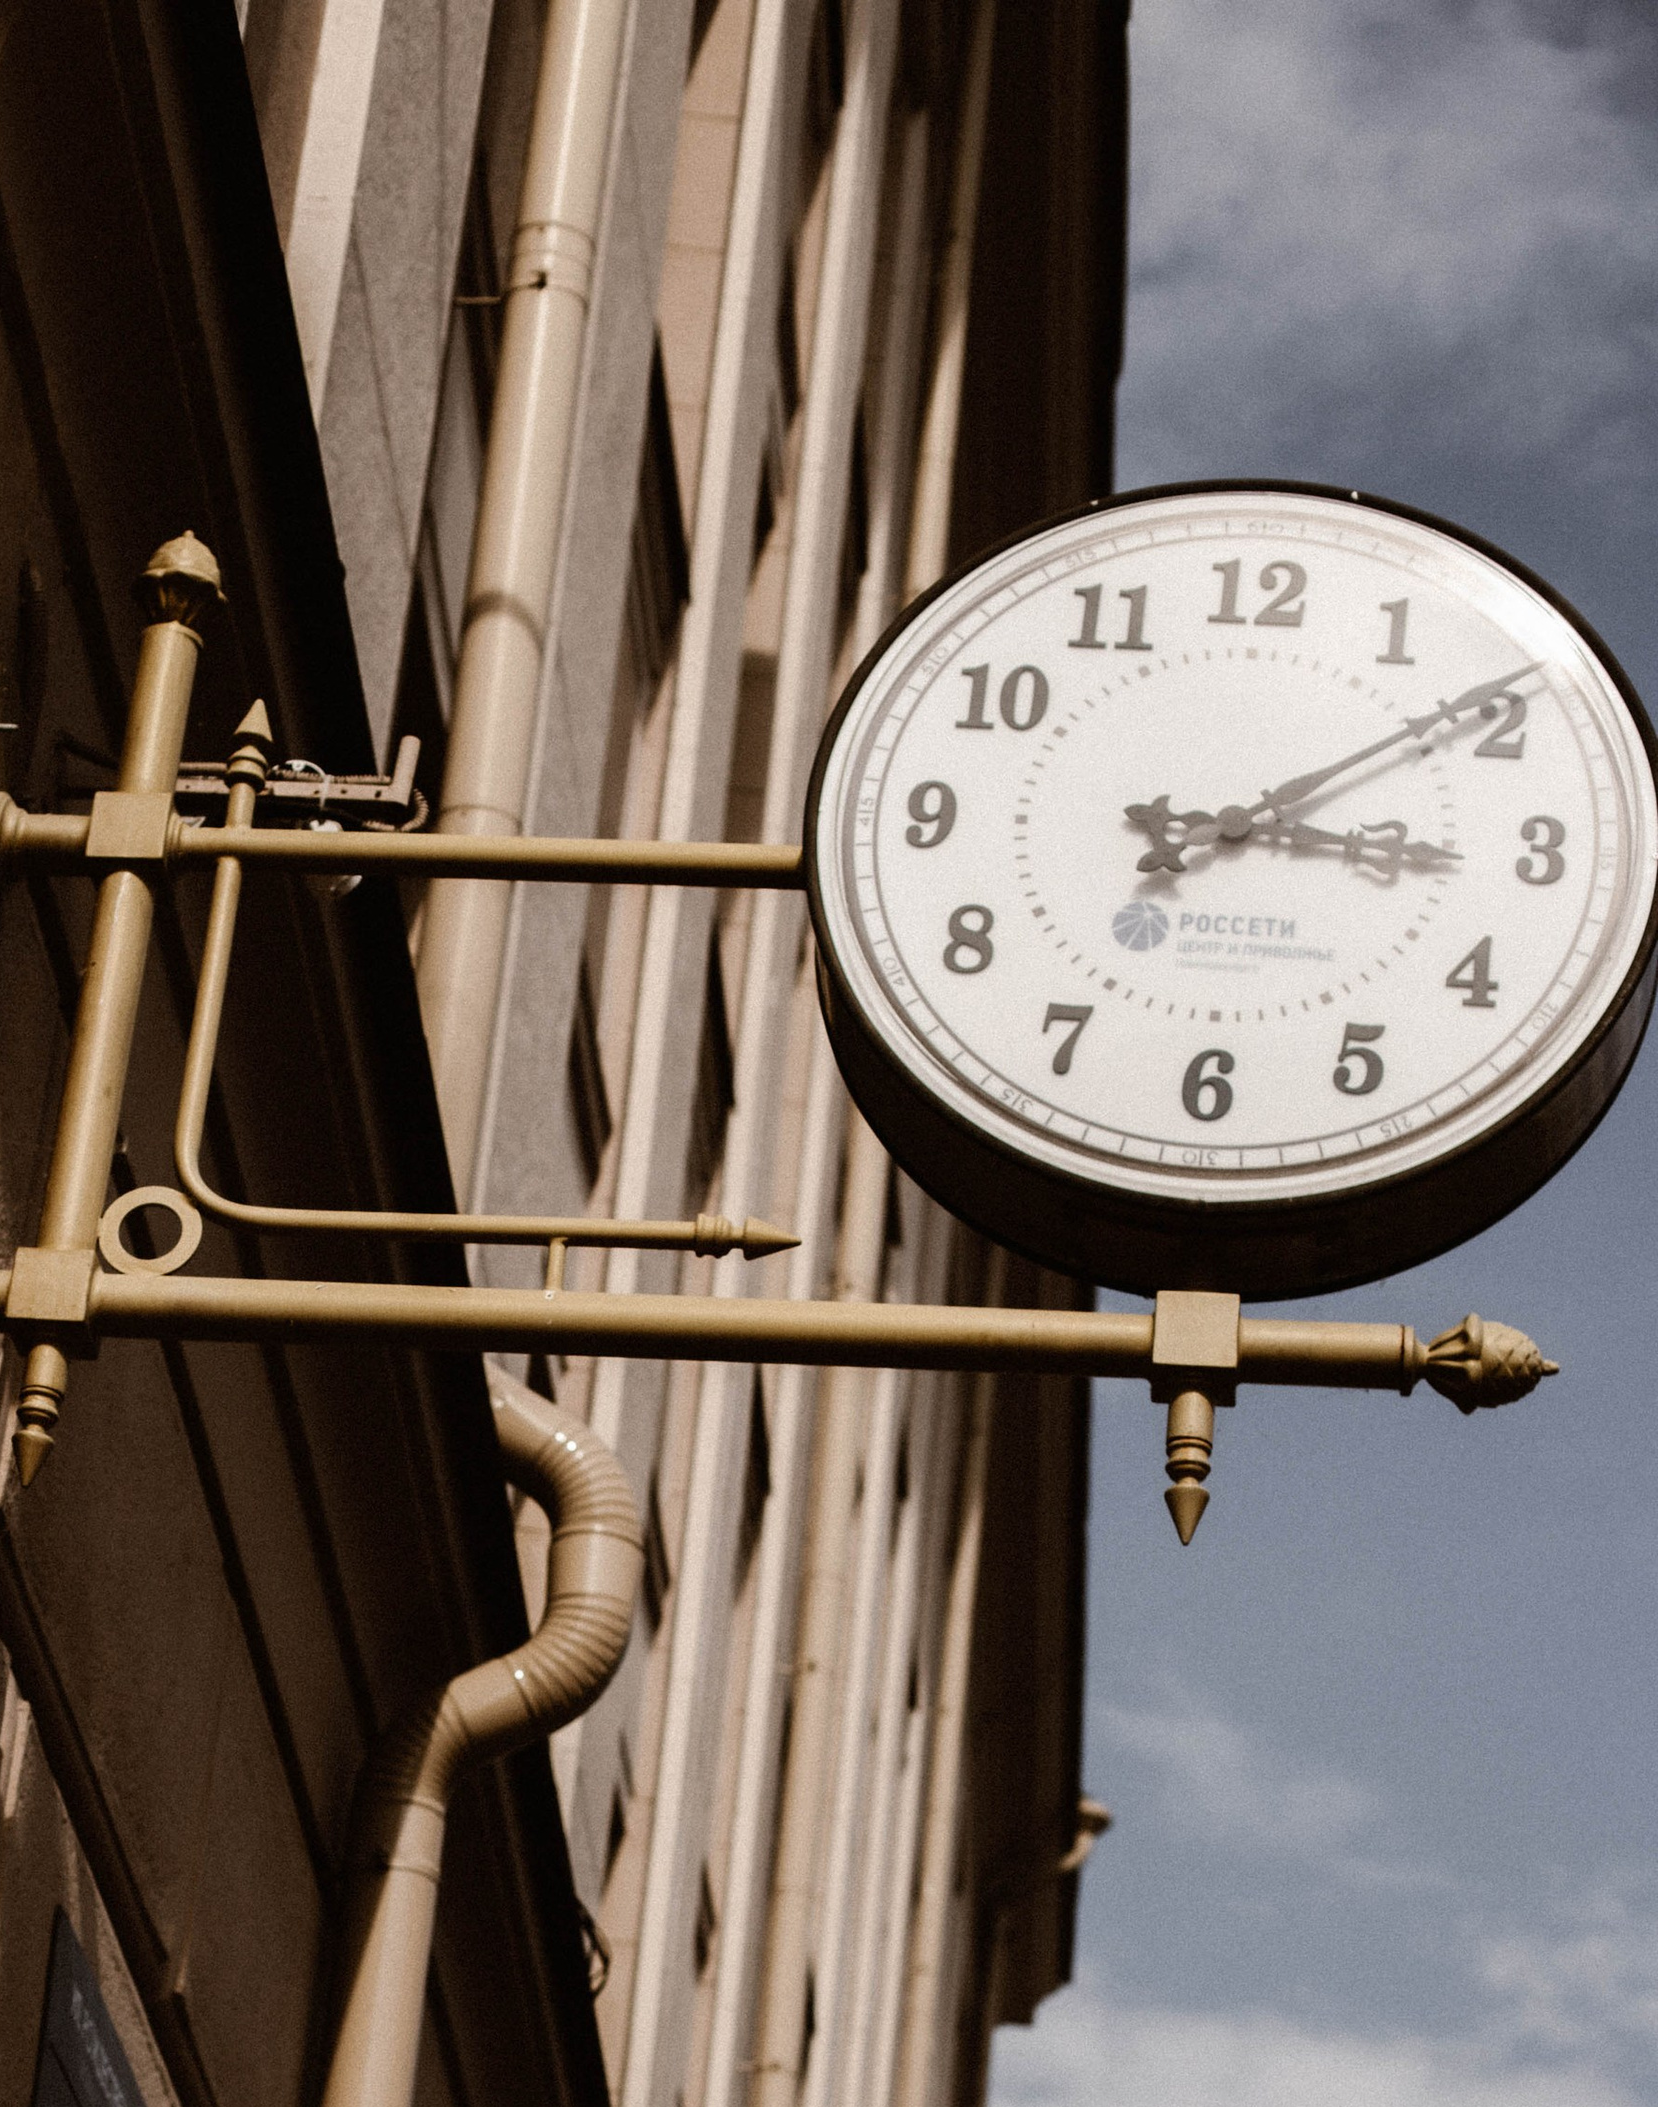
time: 3:09
